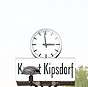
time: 2:58
